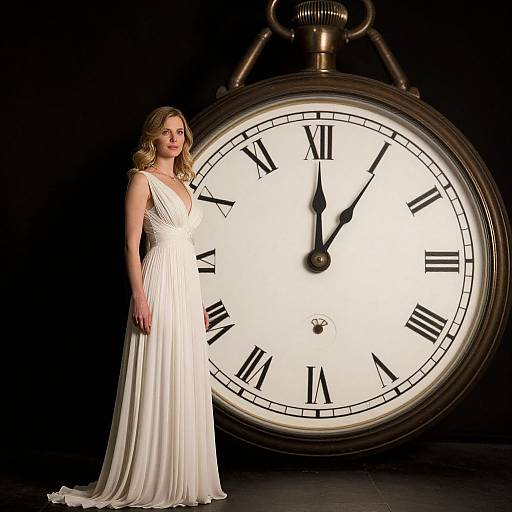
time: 12:05
